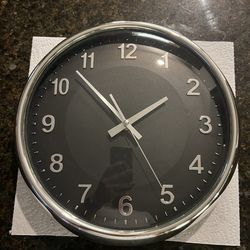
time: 1:52
